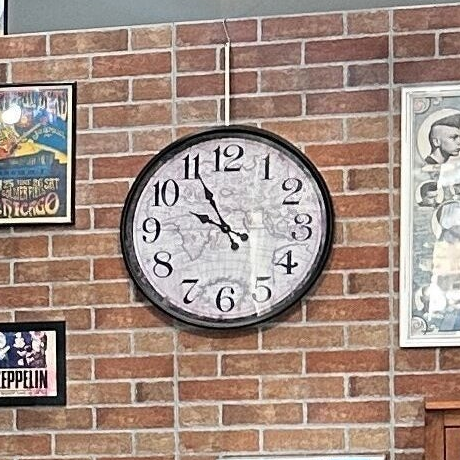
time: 9:55
